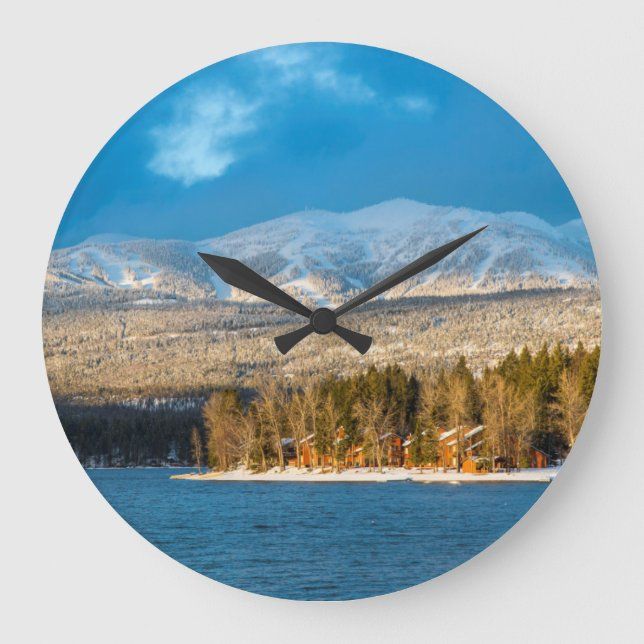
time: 10:10
